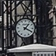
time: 1:18
